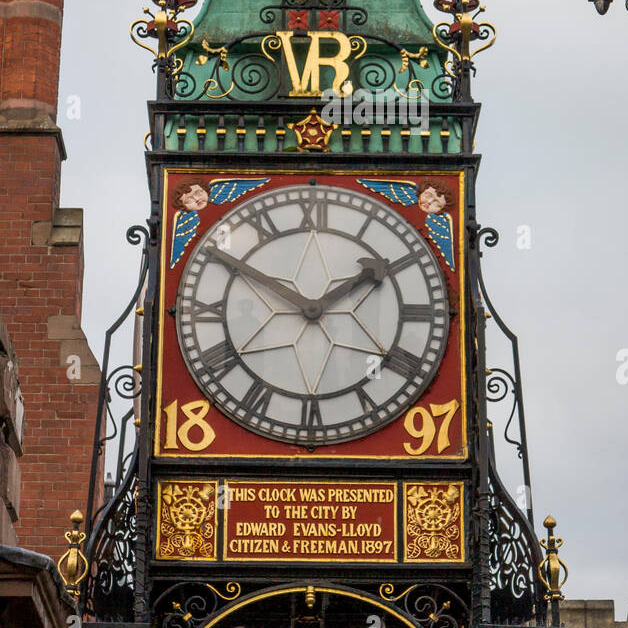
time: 1:50
